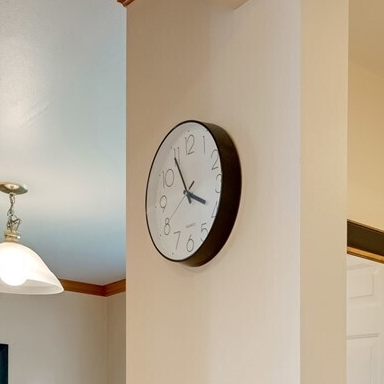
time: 3:54
